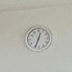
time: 12:33
